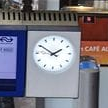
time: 1:50
